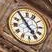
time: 4:54
